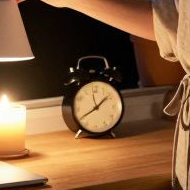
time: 1:39
